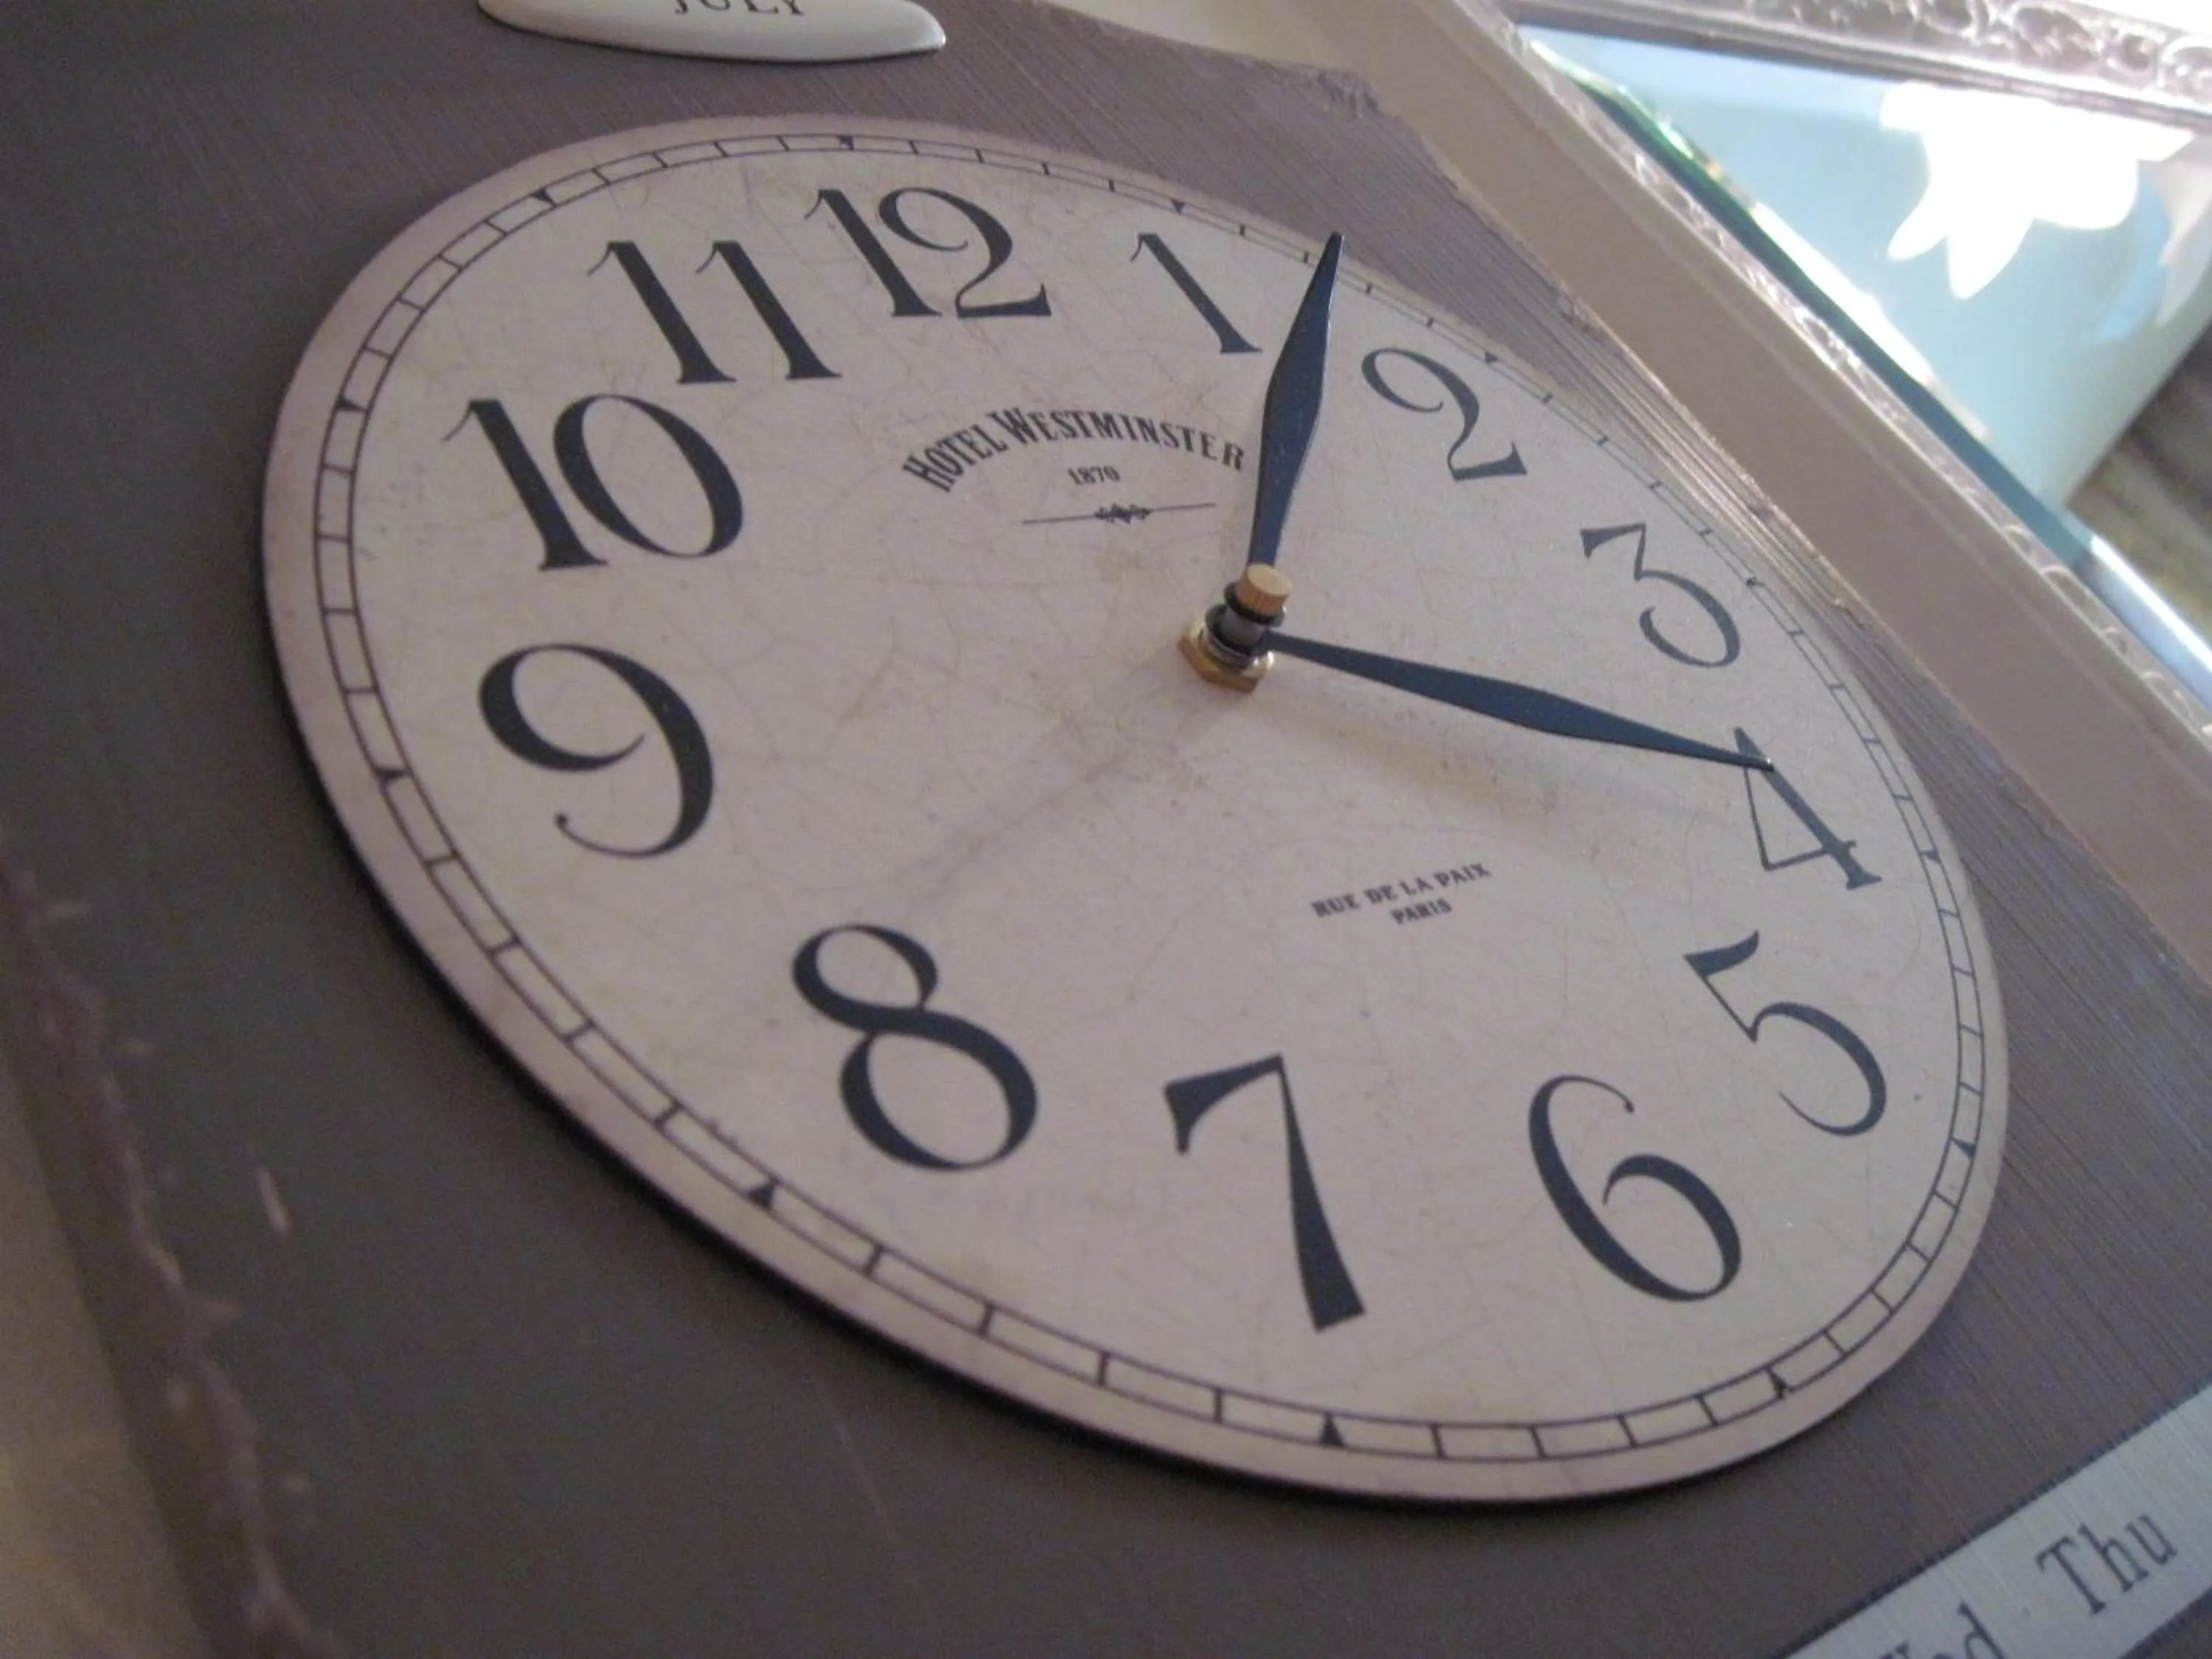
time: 1:18
